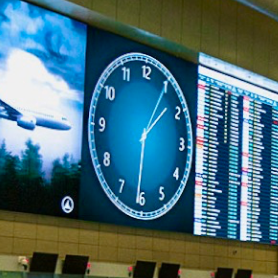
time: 1:31
